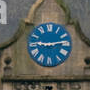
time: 9:13
